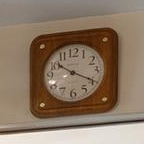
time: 10:19
